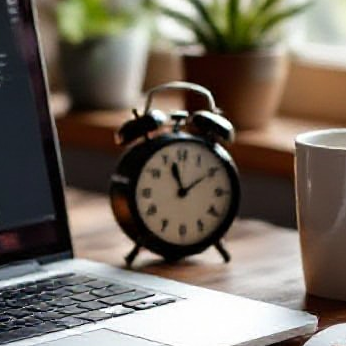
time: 11:09
